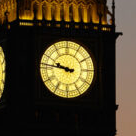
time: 9:46
